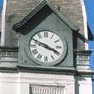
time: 3:48
